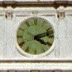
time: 4:12
